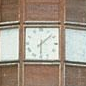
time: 6:08
